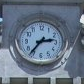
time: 2:36
